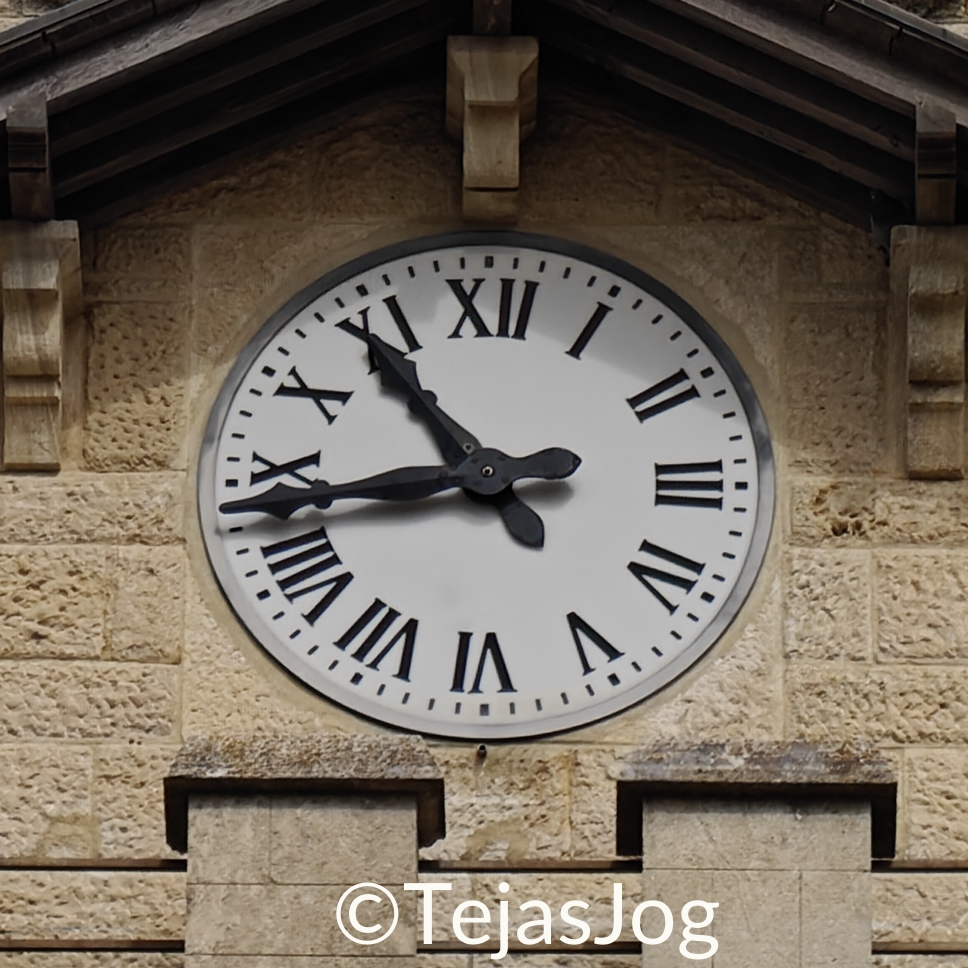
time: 10:43
